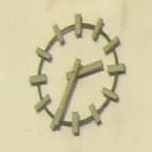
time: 2:34
